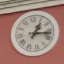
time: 1:16
